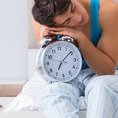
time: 7:08
